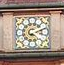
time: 4:10
